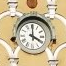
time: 4:00
